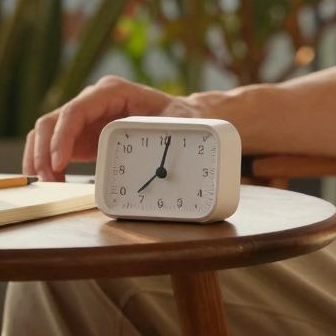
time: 7:01
